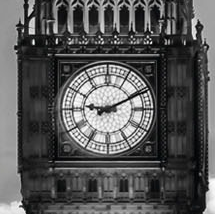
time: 9:10
